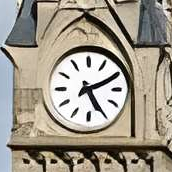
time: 5:10
